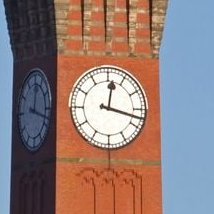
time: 12:17
